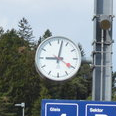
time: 9:01
